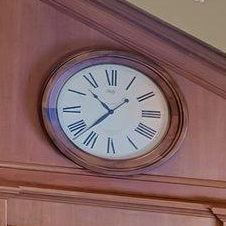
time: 10:37
